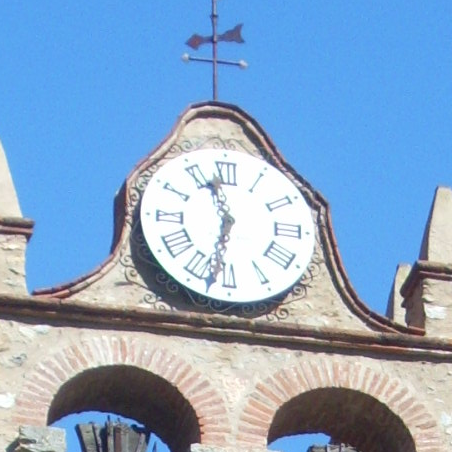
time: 11:32
